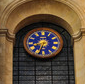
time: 8:33
